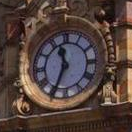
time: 11:34
